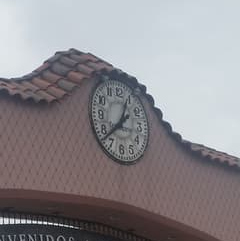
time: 12:38
